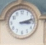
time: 3:12
